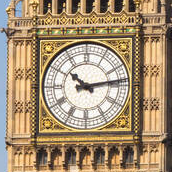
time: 10:13
